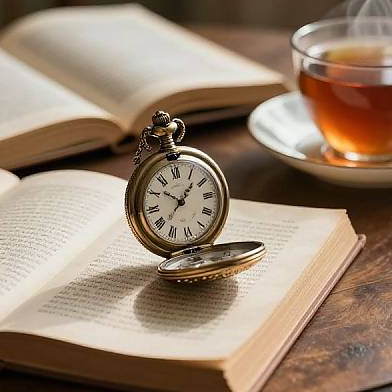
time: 10:07
